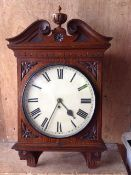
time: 4:34
